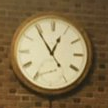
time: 12:54
